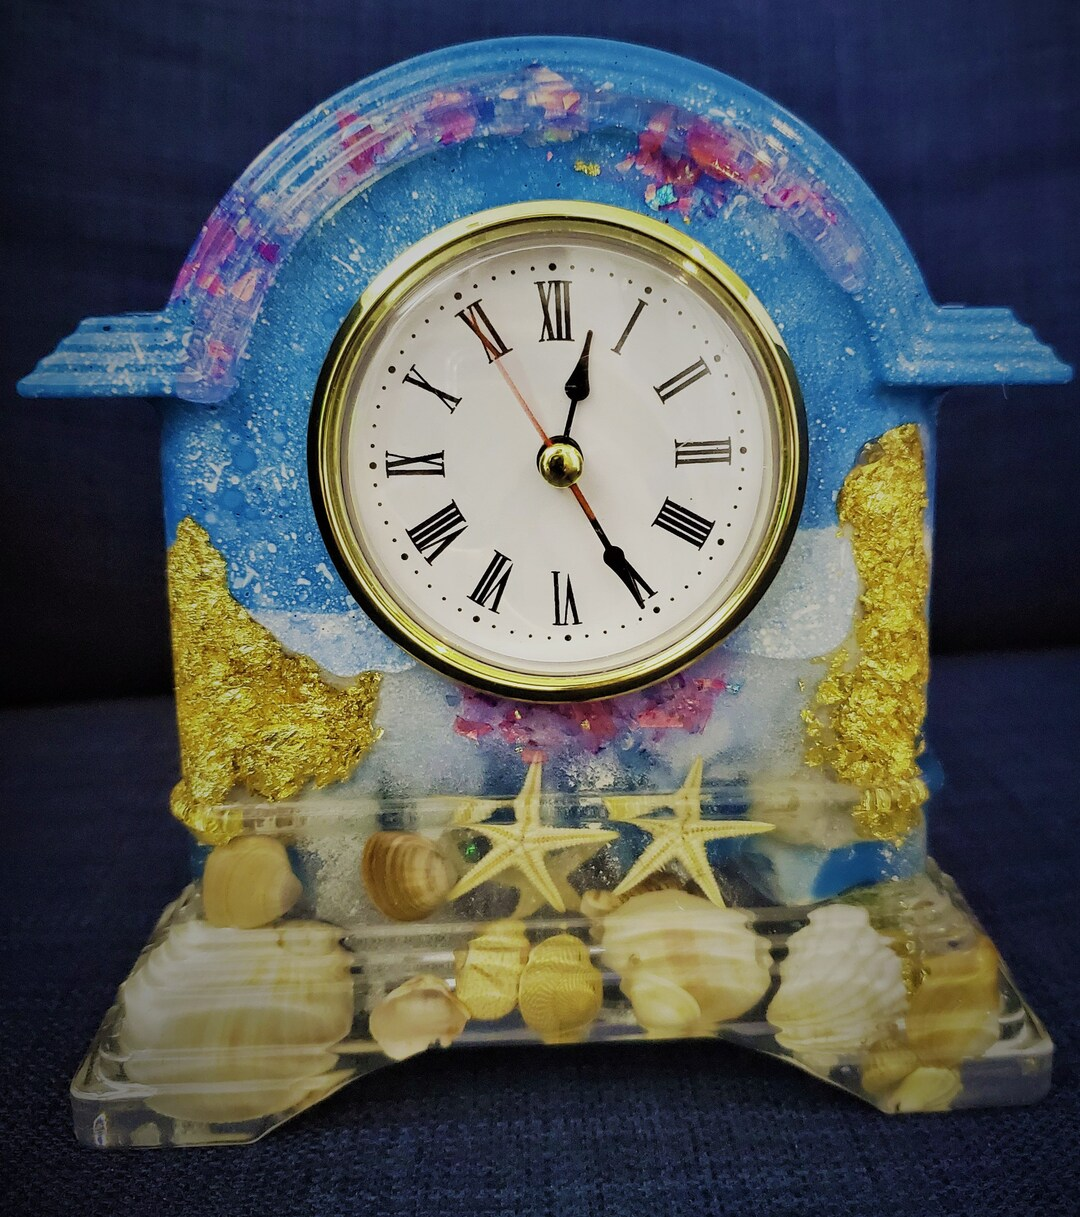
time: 12:24
